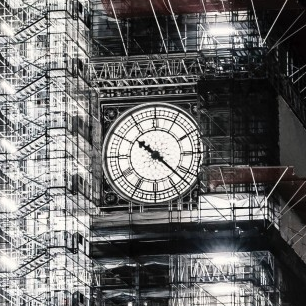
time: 10:22
